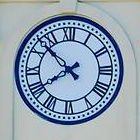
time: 7:52
